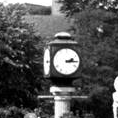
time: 2:15
